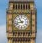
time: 10:42
